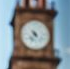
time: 4:35
